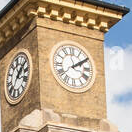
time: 2:09
